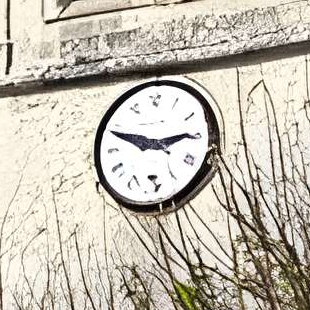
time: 2:48
